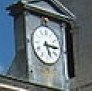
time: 5:14
